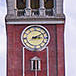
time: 3:09
